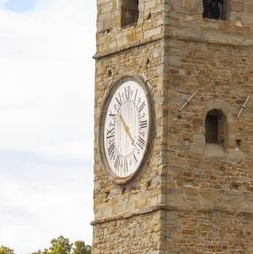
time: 10:22
